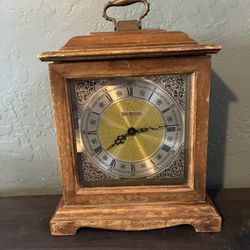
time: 8:14
